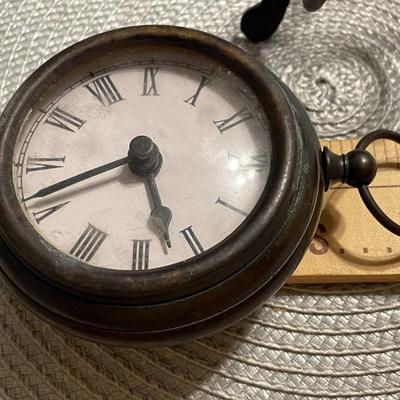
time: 5:41
